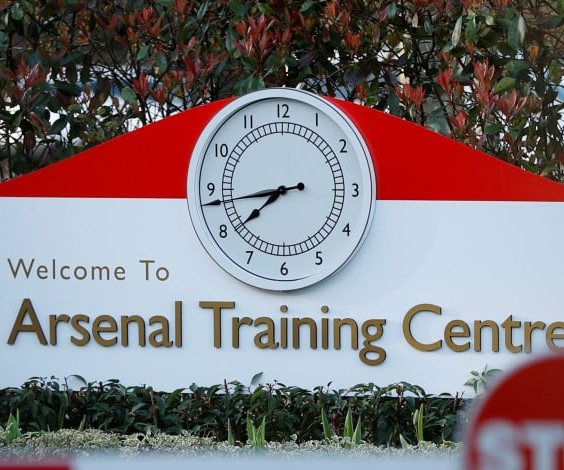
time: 7:43
